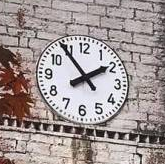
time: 1:54
